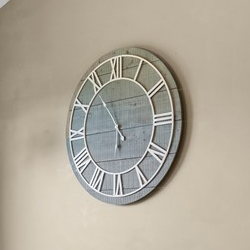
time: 5:54
